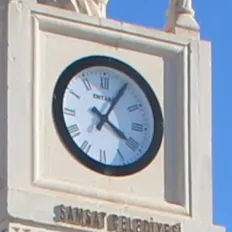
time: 4:04
